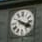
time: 4:18
